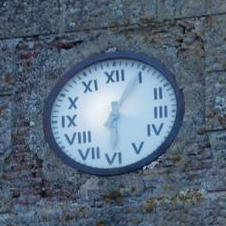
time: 6:04
